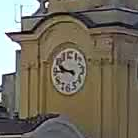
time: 9:45
